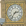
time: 2:36
